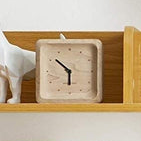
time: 5:51
